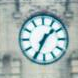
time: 1:34
